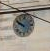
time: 9:50
